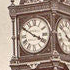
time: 3:50
